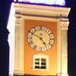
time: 4:49
